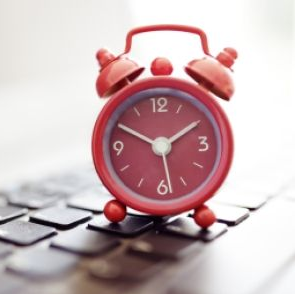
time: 1:50
